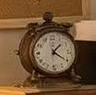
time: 1:20
